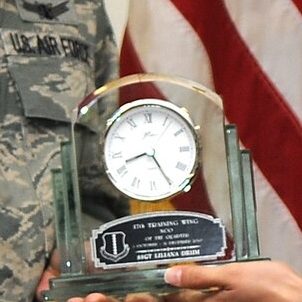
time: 8:25
